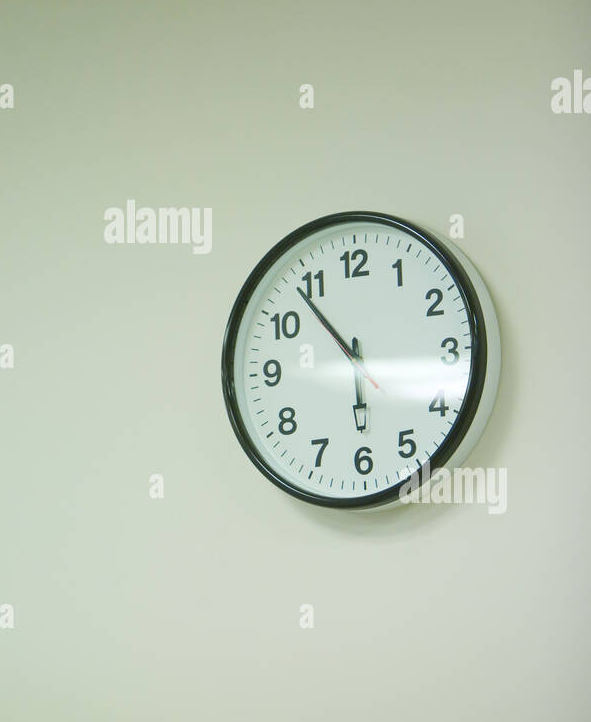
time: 5:53
